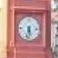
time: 5:32
